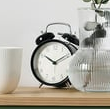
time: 10:10
